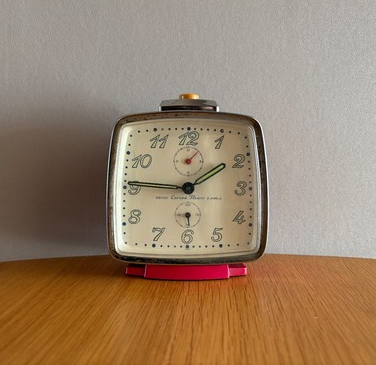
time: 1:46
